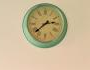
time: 2:38
